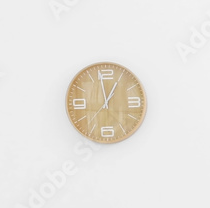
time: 12:58
